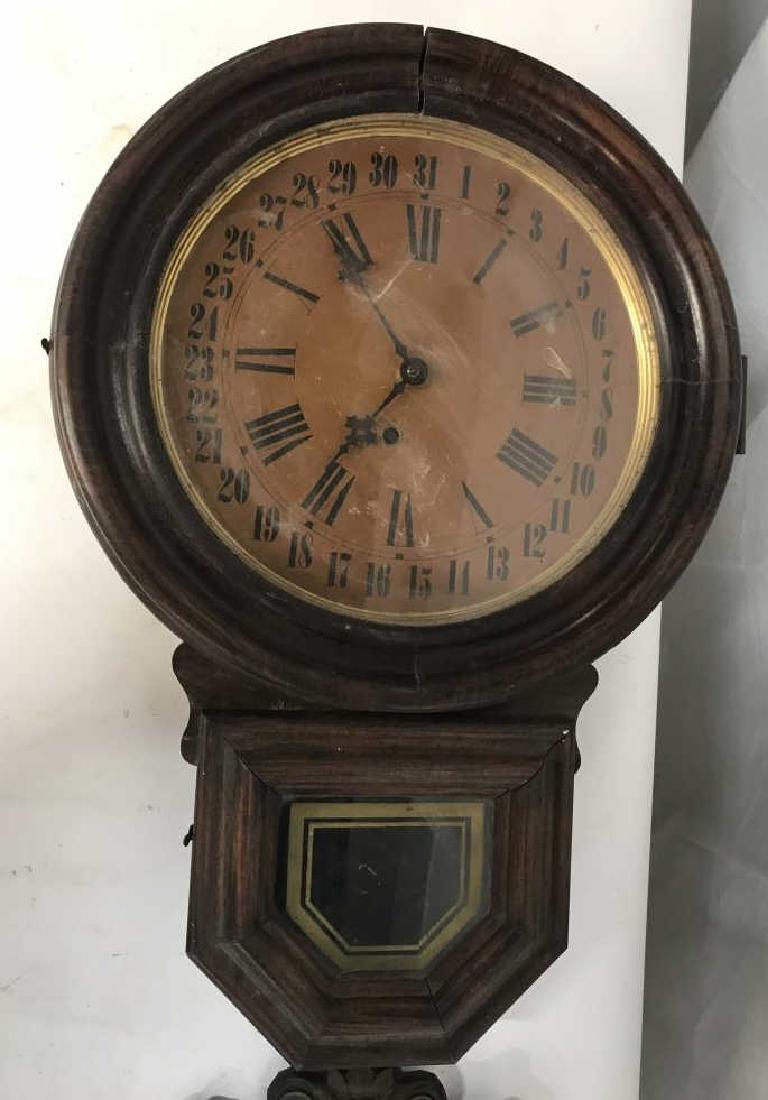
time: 10:36
